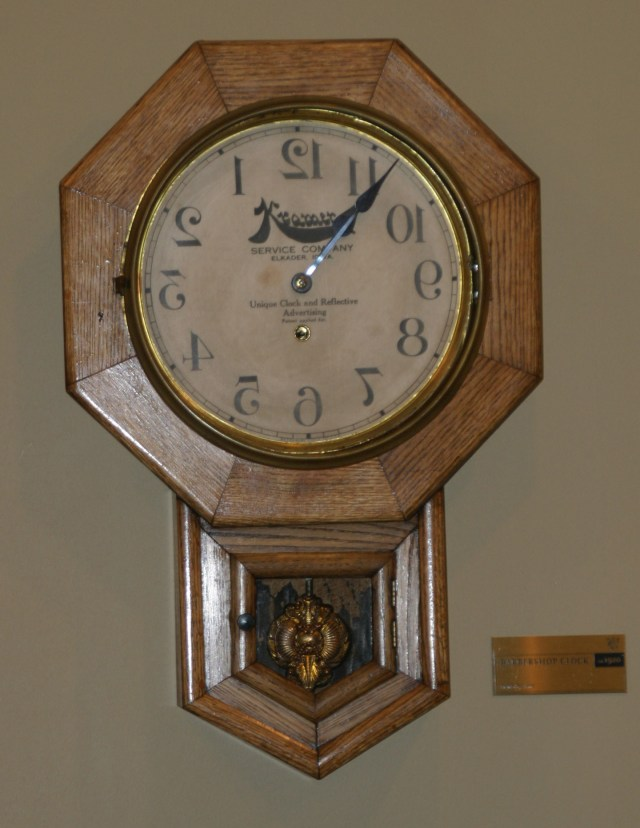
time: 10:07
